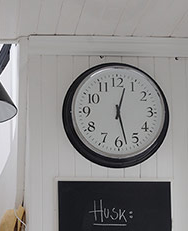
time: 12:27
